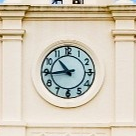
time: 10:43
